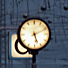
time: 5:11
